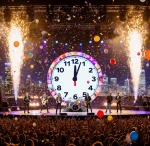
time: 12:03
